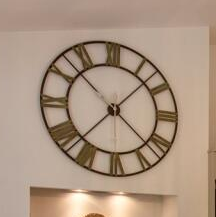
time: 1:37
